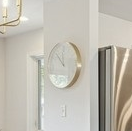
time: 11:52
